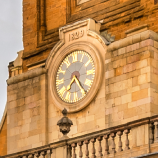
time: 7:24
